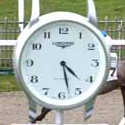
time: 4:27
